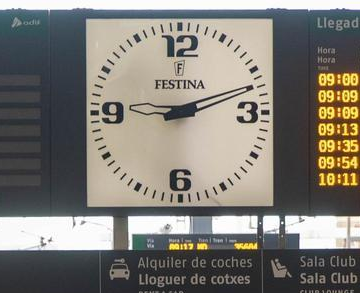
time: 2:11
